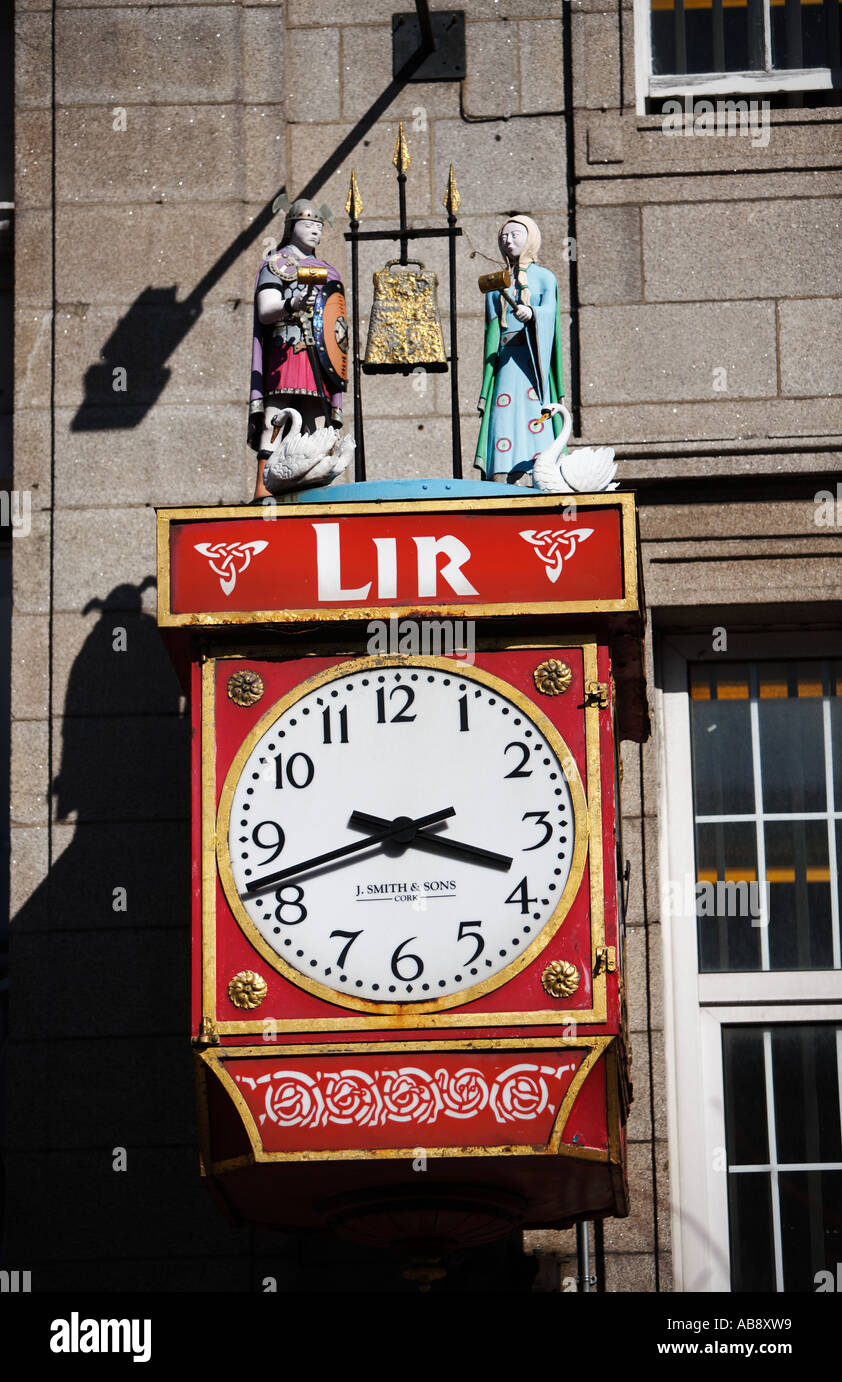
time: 3:42
